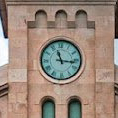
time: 11:16
